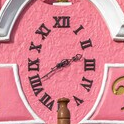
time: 2:40
